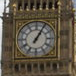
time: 1:05
